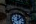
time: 12:07
